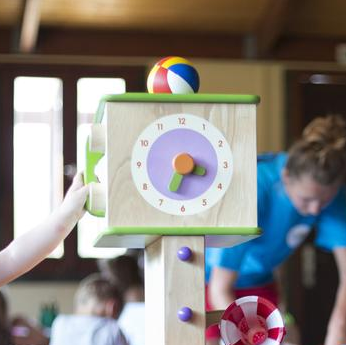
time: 3:34
